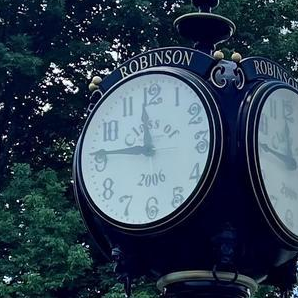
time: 11:45
